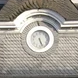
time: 5:26
